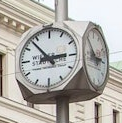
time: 2:53
